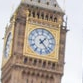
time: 1:22
